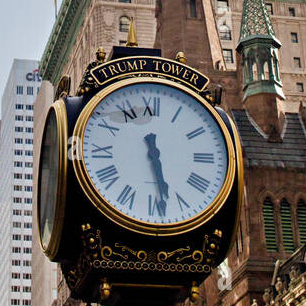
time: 5:28
